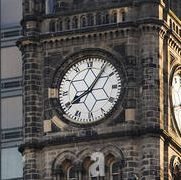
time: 8:06
